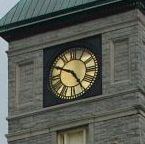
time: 4:49
